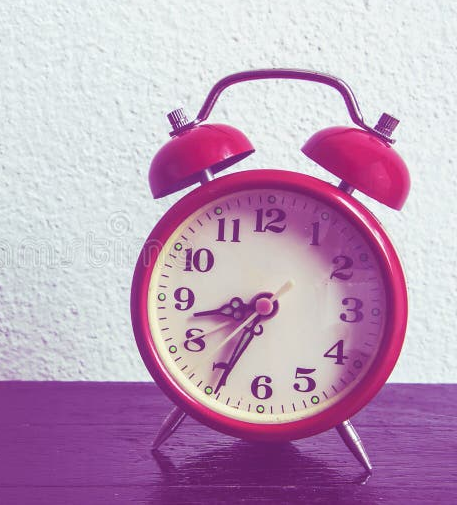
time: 8:34
